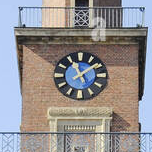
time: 11:08
